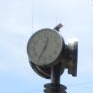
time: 12:34
